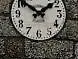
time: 1:51
